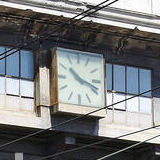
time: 10:17
